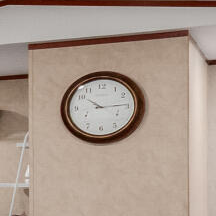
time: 10:14
